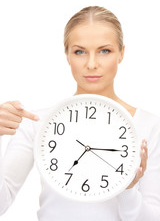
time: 7:15
